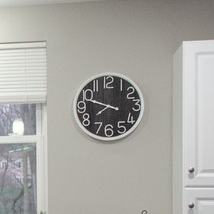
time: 7:48
